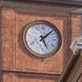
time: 5:07
